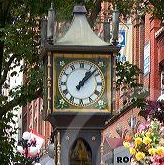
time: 1:07
